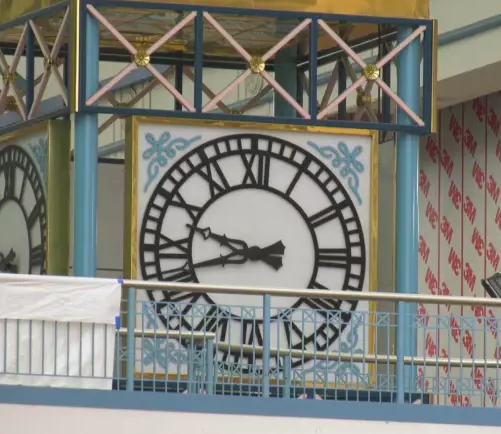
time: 9:42
